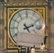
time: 2:23
